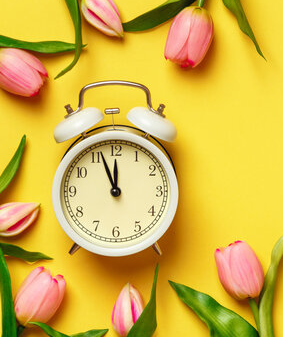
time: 11:56
